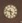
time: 5:47
